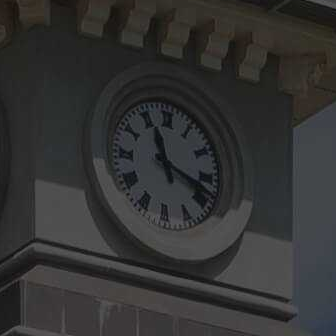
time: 11:17
